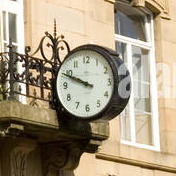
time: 9:48
